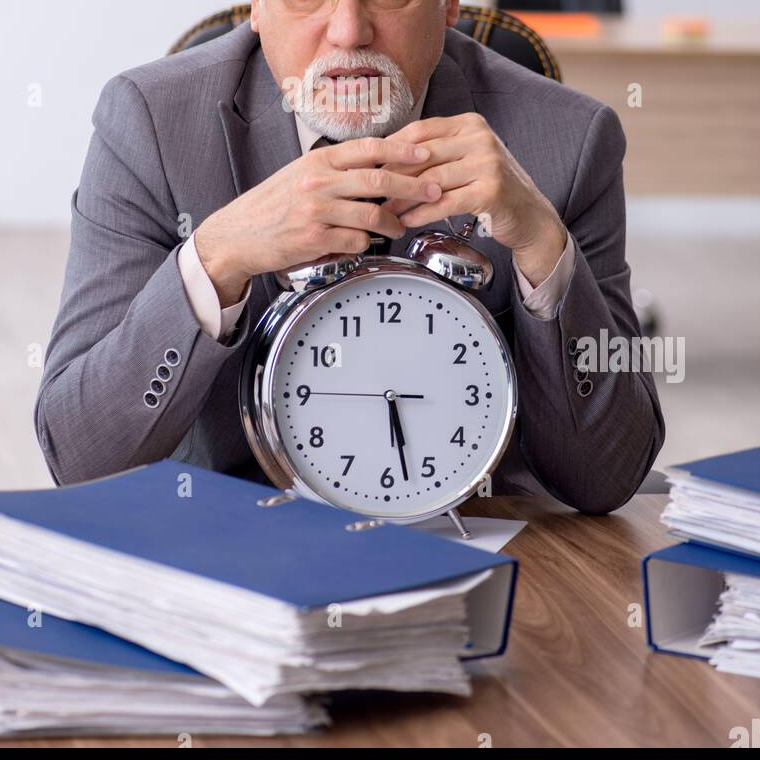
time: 5:27
